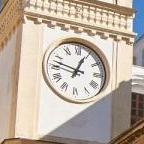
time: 12:47
